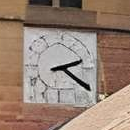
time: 2:21
